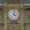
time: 4:02
